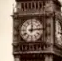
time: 12:13
